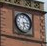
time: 5:13
